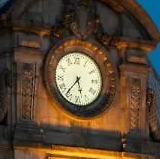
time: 5:36
